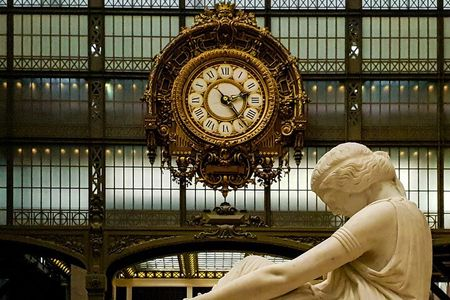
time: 2:22
